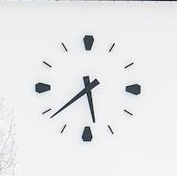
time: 5:38
